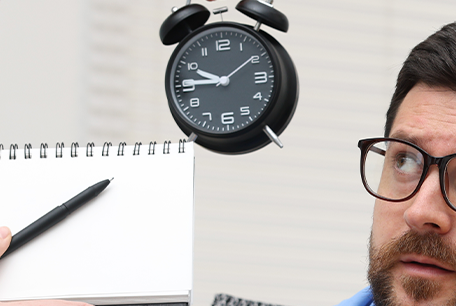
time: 9:45
